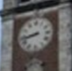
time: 8:43
